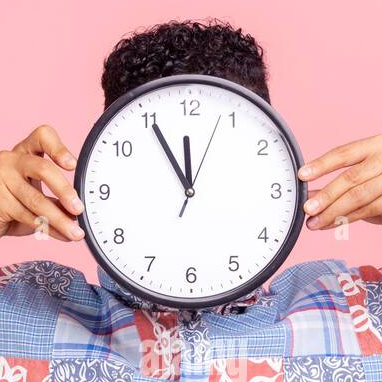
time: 11:55
